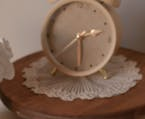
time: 2:28
